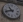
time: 10:42
